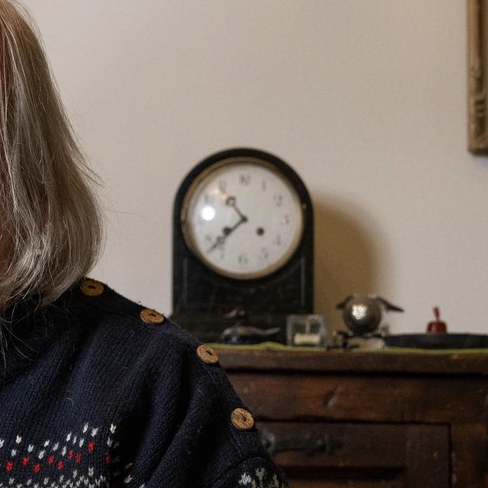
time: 10:38
